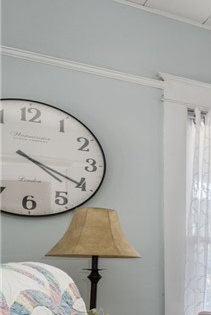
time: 4:20
